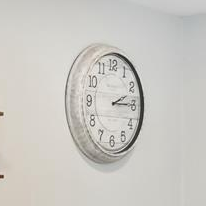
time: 2:14
